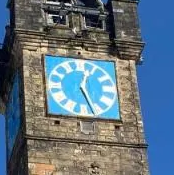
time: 12:26
